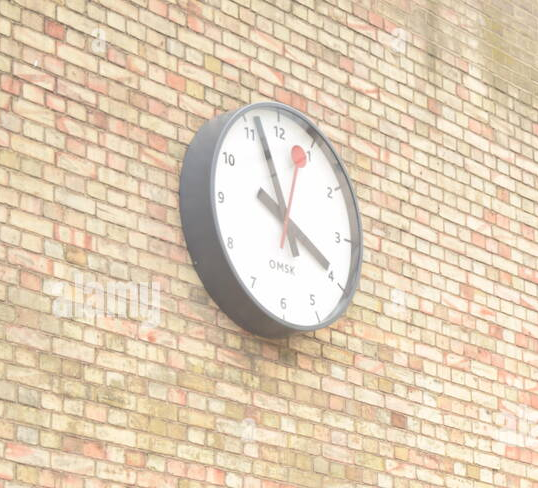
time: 3:57
